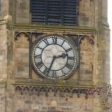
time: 2:33
